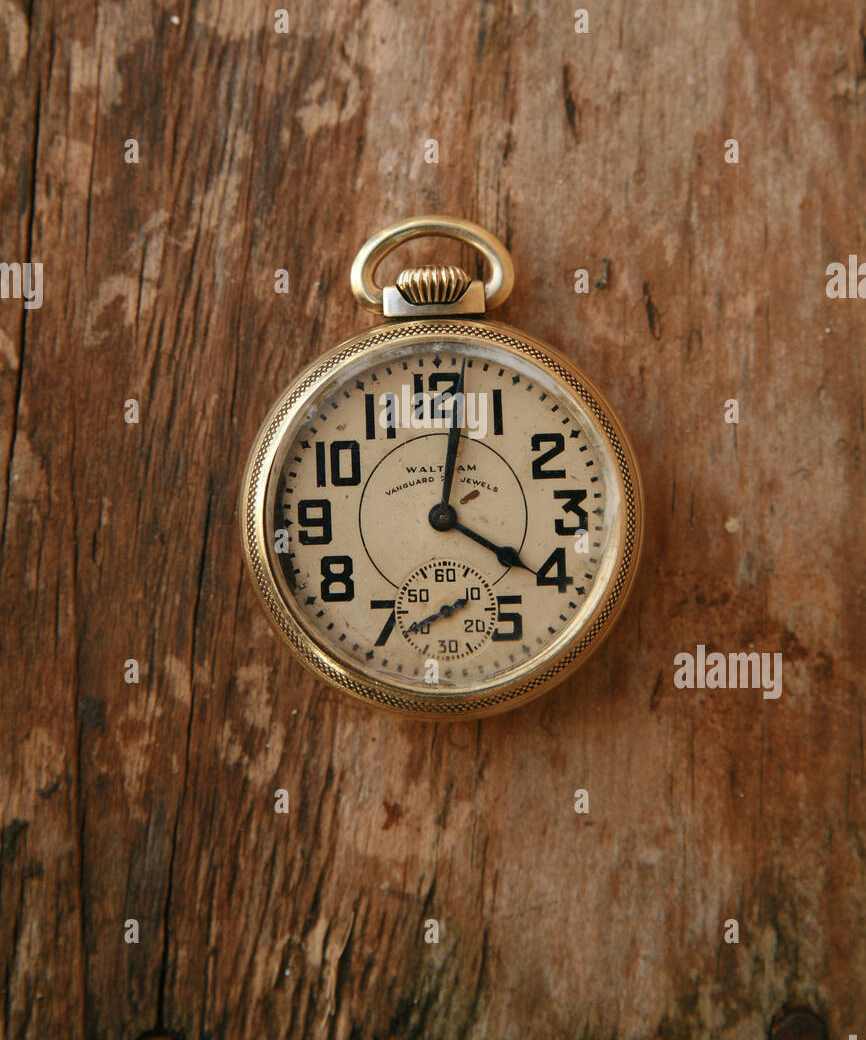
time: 4:01
